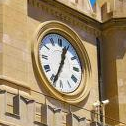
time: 12:34
